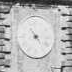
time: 4:23
